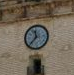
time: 11:37
